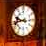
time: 9:43
